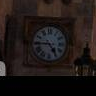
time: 4:44
